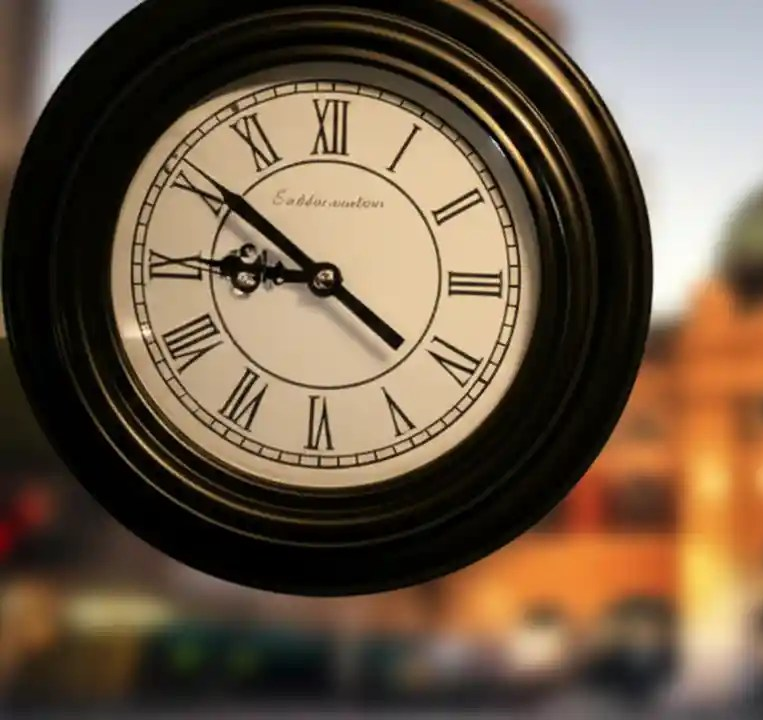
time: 8:50
